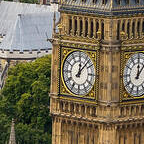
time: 12:07
